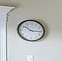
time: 10:15
